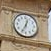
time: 12:34
